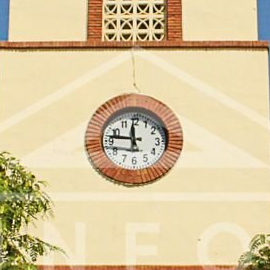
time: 11:46
